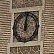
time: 12:00
